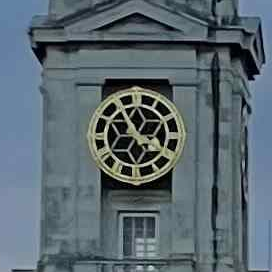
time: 3:54
